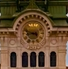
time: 8:48
